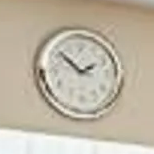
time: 1:52
